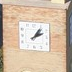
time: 2:06
